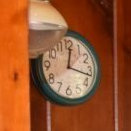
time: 12:16
